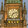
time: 7:12
